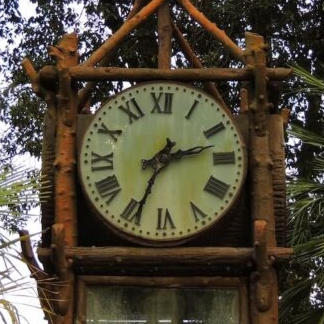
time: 2:34
